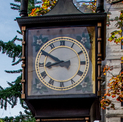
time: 8:50
